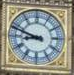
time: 8:48
